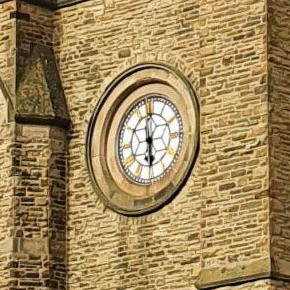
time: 5:59
